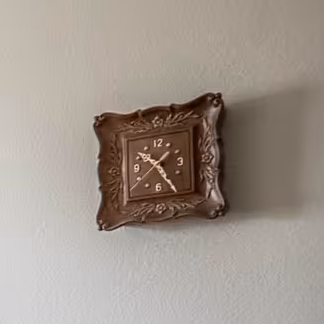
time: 10:24
